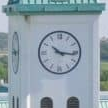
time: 10:16
